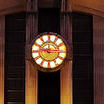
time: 9:14
